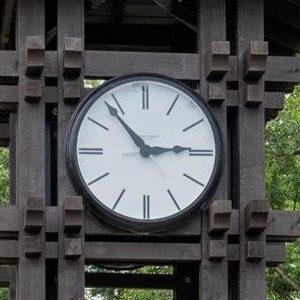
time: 2:53
